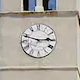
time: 2:48
